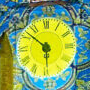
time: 5:51
